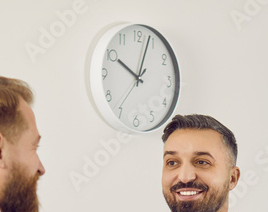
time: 10:03
